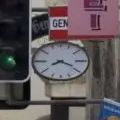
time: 8:18
